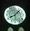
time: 8:07
